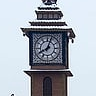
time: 8:03
